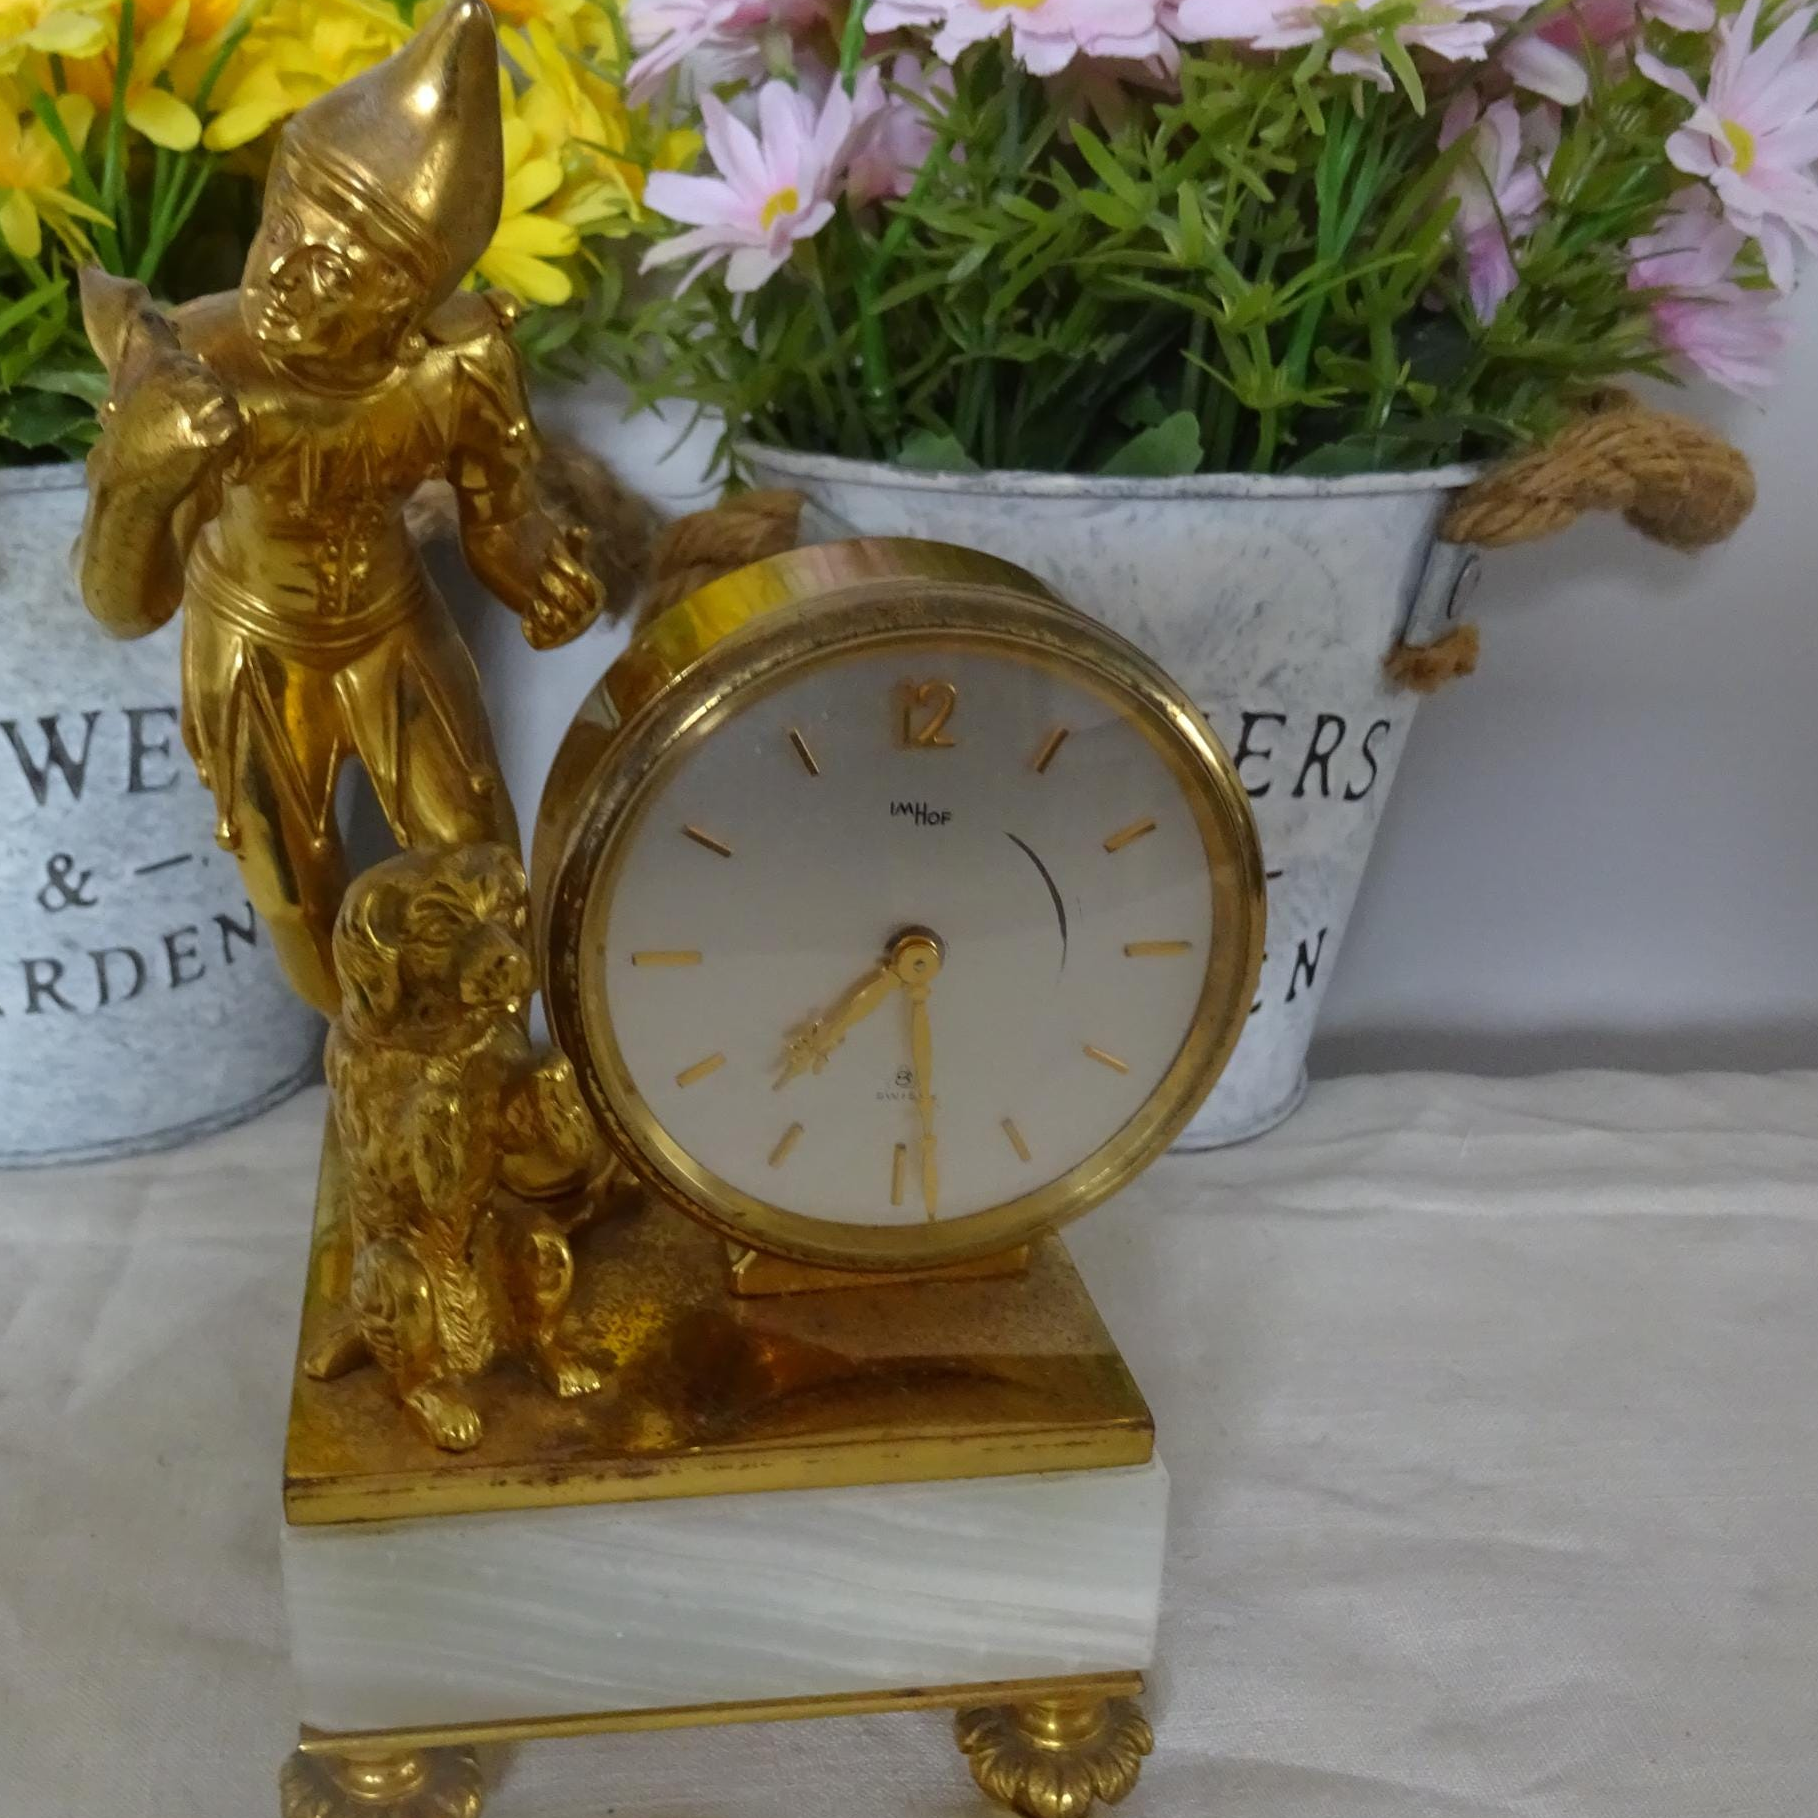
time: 7:28
